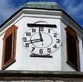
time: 11:42
